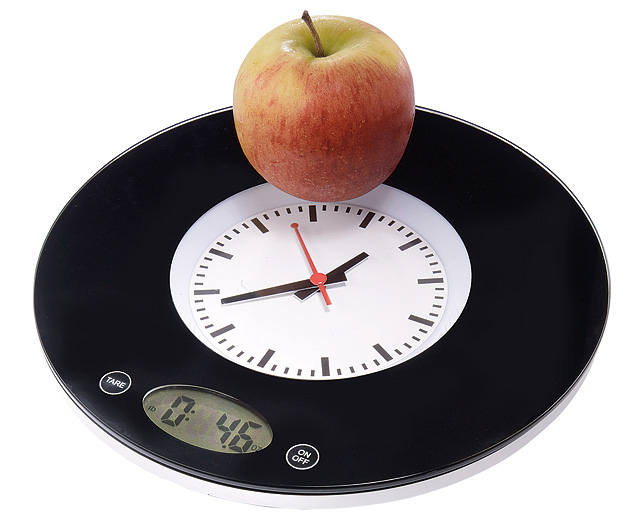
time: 1:43
